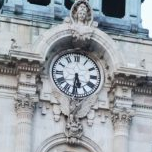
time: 5:31
